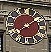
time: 1:39
